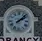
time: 2:07
